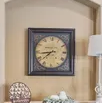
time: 7:43
